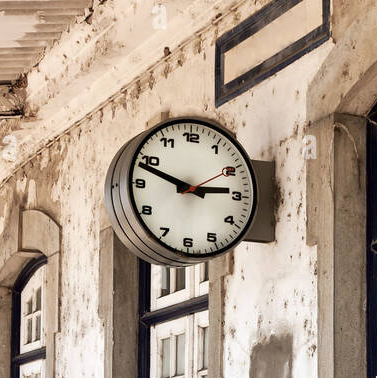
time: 2:48
